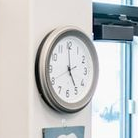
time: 4:59
